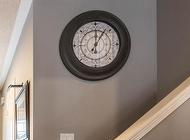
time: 12:06
